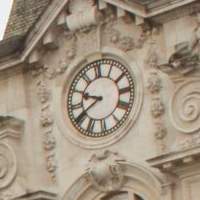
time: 9:40
